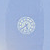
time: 5:38
